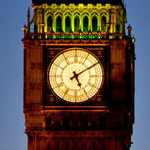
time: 5:09
